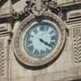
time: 4:21
